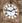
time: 1:46
